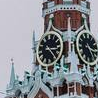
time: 3:23
